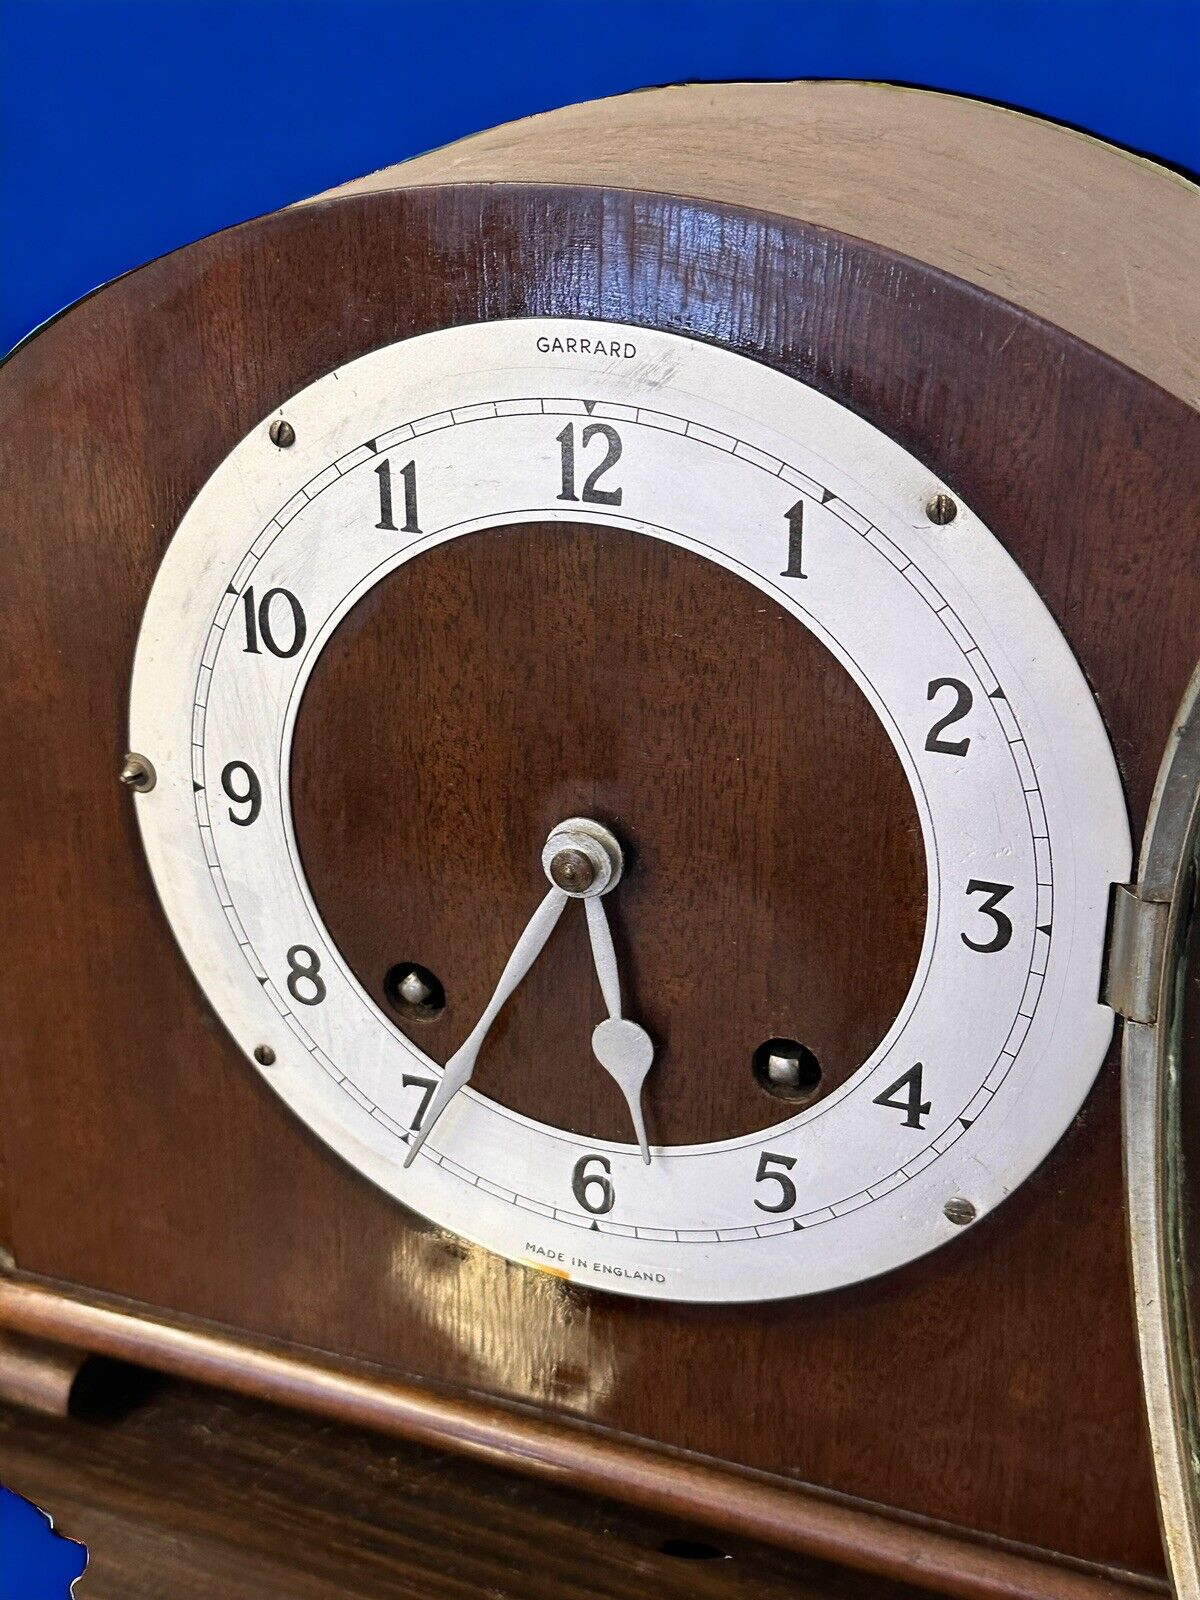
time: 5:35
